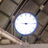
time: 9:14
